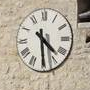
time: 4:29
